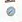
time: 7:37
